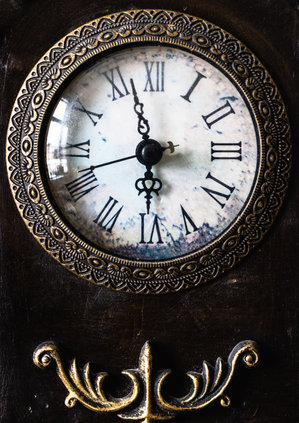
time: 5:57
